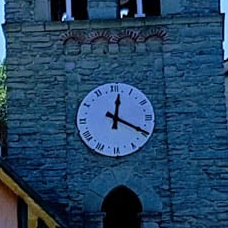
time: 12:19
